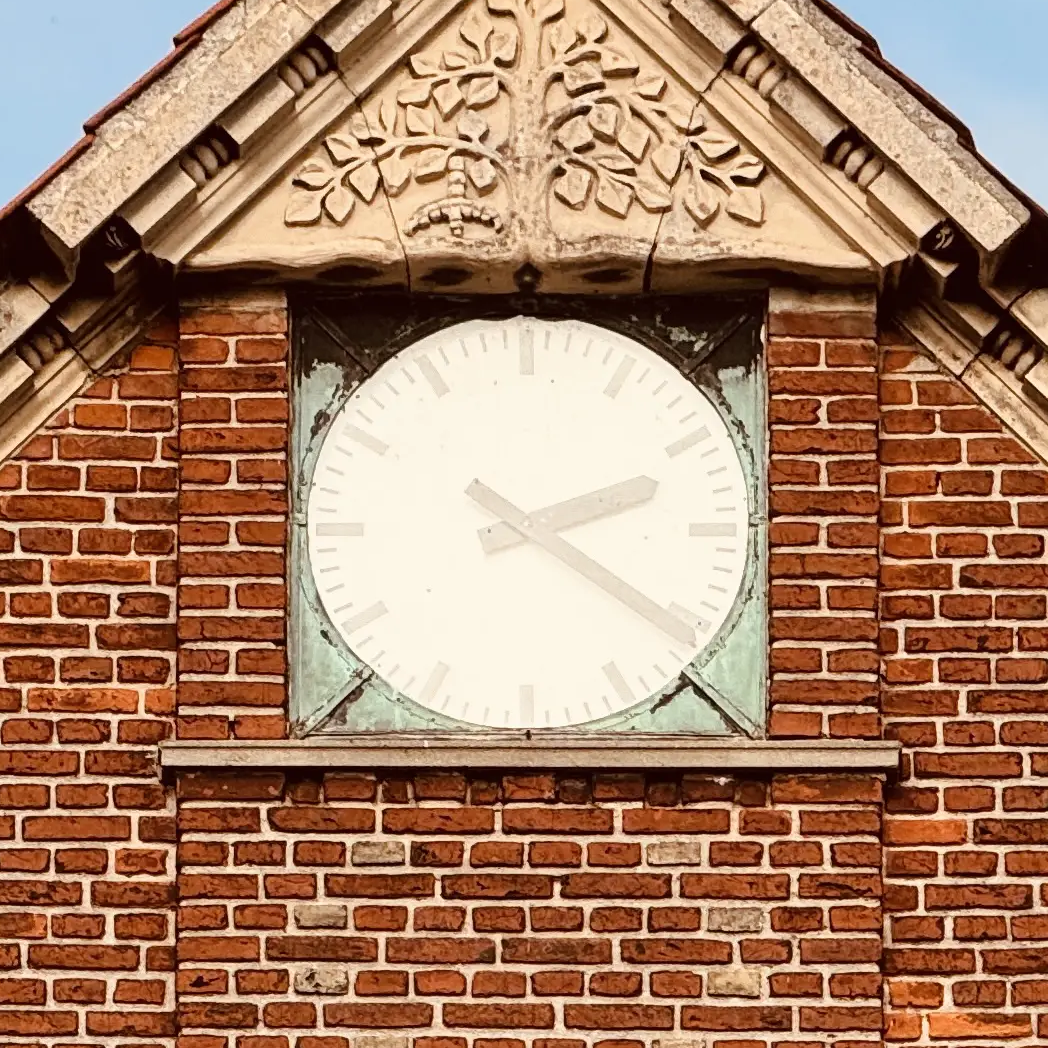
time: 2:21
